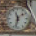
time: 11:32
